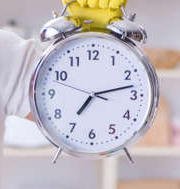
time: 7:12
